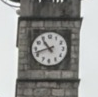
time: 10:42
